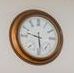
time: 9:28
